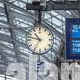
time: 10:47
